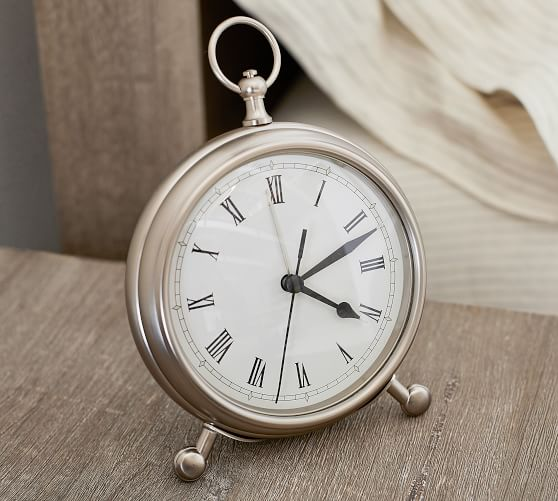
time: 4:11
